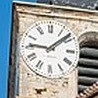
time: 9:08
